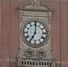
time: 7:00
